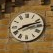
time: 8:12
